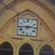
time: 2:44
